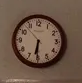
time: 6:30
